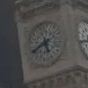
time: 5:40
